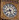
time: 8:27
